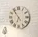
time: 6:54
